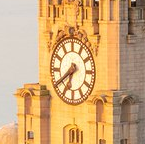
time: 6:39
